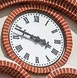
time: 3:48
